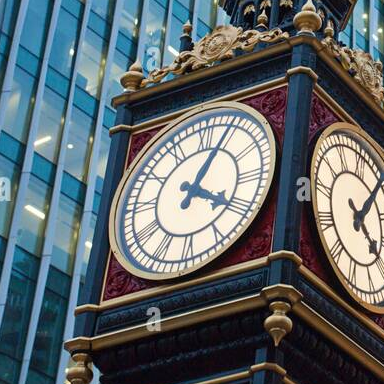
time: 4:04
